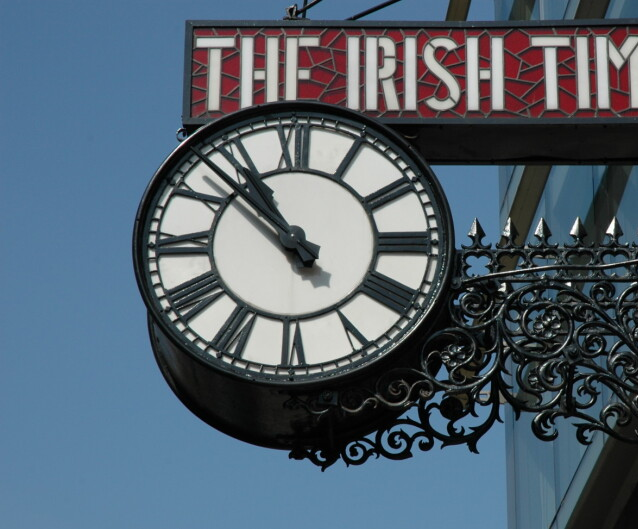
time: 10:52
